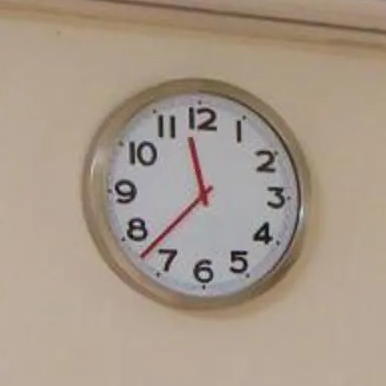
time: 11:37
